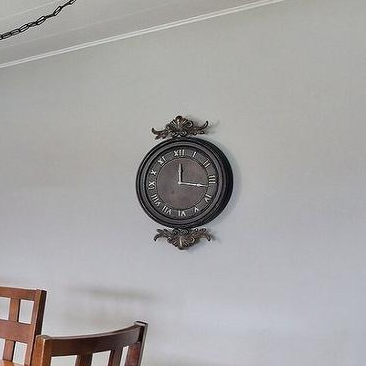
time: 12:16
